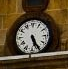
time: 5:25
